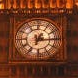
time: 6:15
